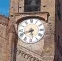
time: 5:41
